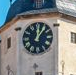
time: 12:06
